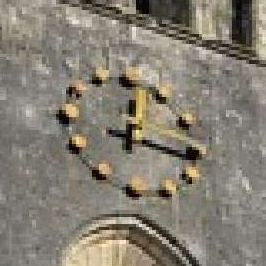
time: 12:16
